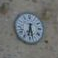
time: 6:27
